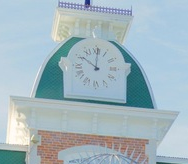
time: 10:00
